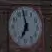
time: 6:58
